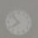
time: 7:53
